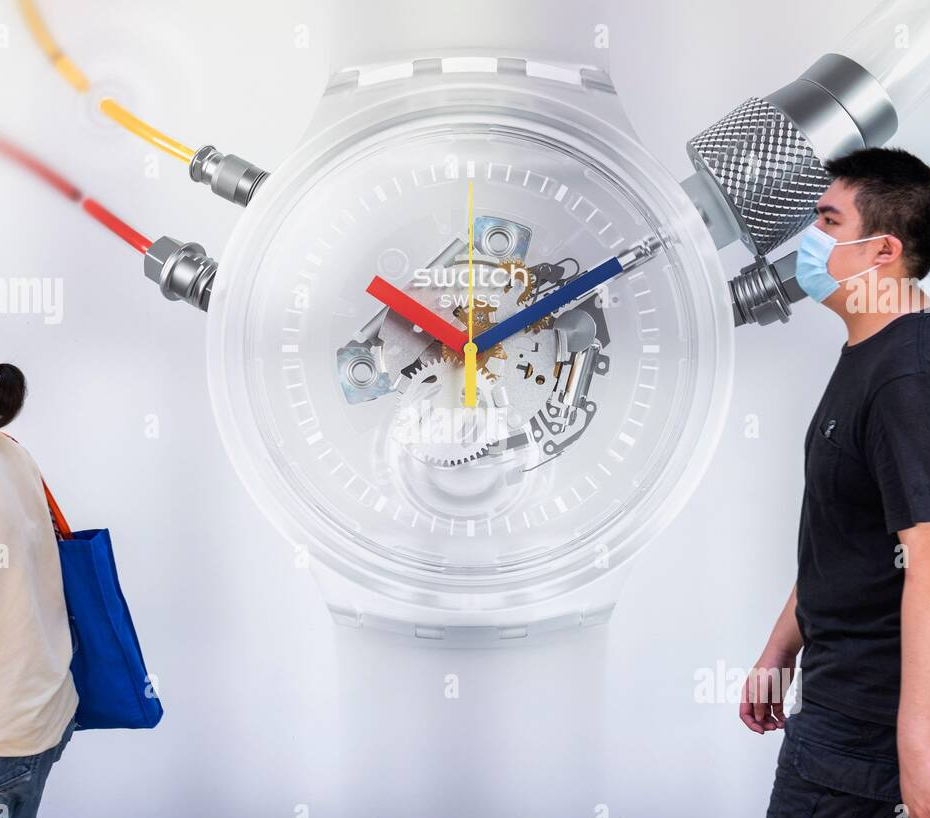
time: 10:10
